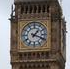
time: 1:18
